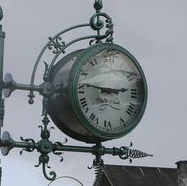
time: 2:47
